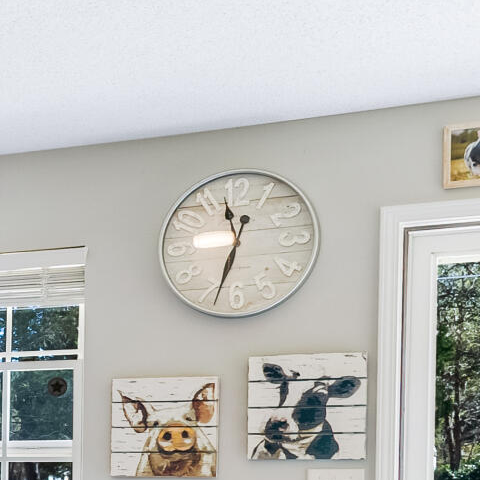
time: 11:33
